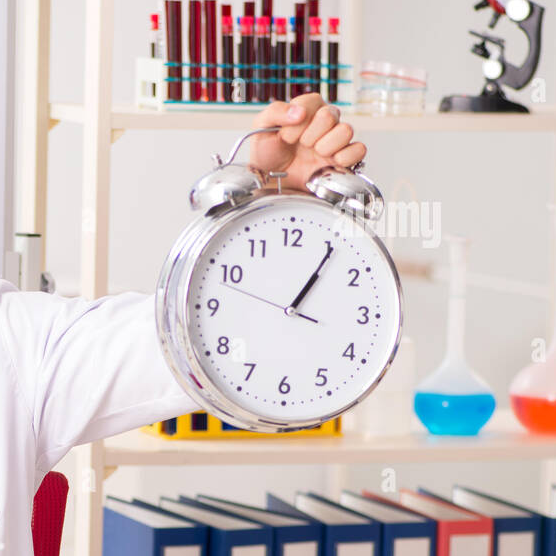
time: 1:05
